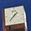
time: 1:37
